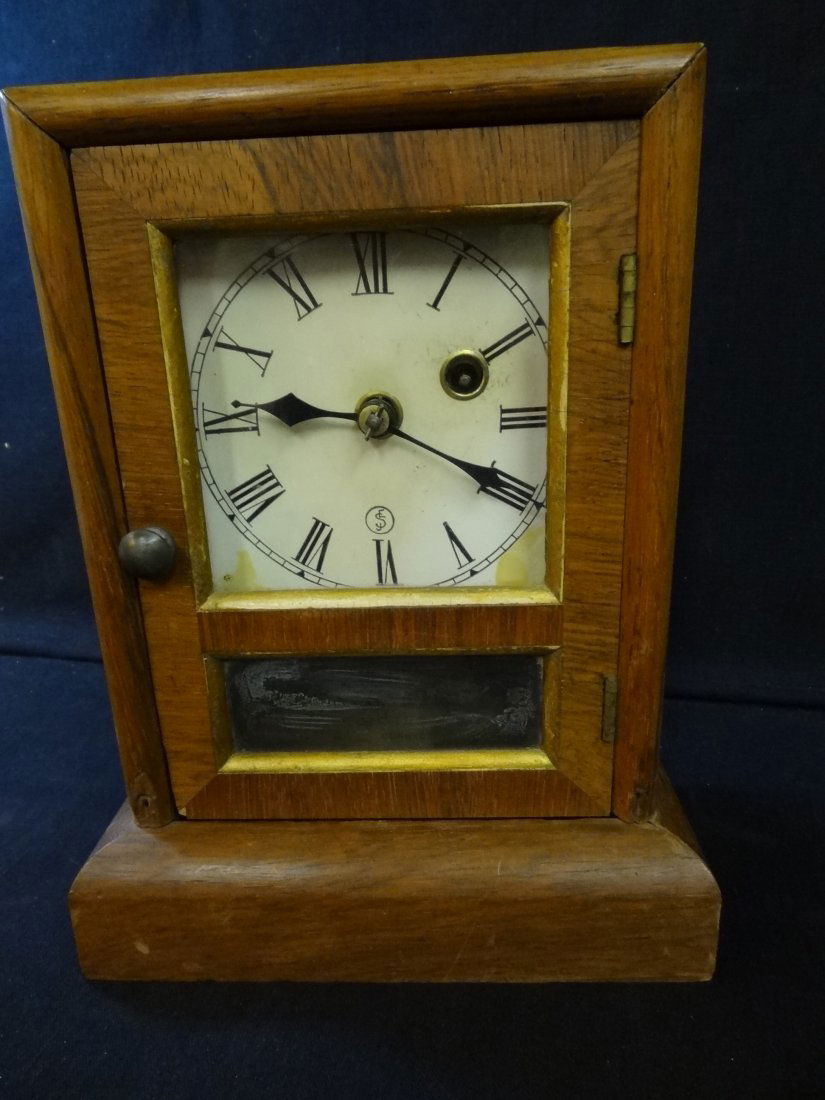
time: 9:19
